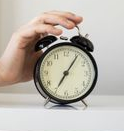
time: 7:05
